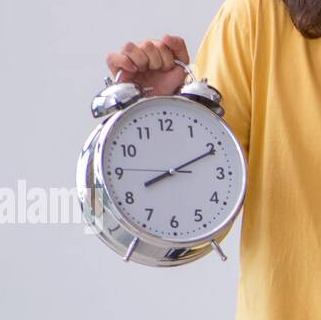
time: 8:10
